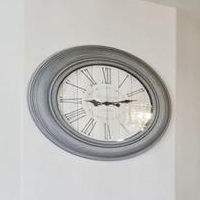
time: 9:12
